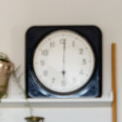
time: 6:00
